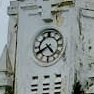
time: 4:40
